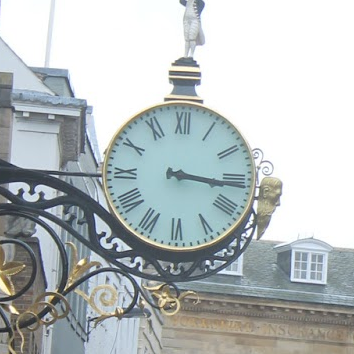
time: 3:16
